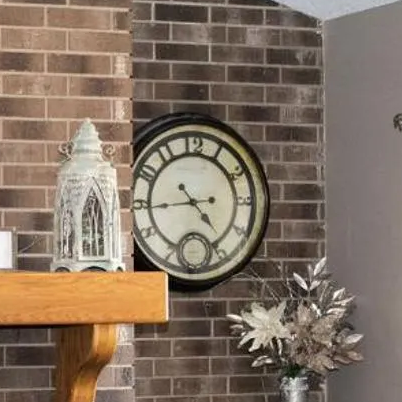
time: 4:43
